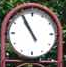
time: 10:55
